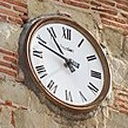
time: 10:48
